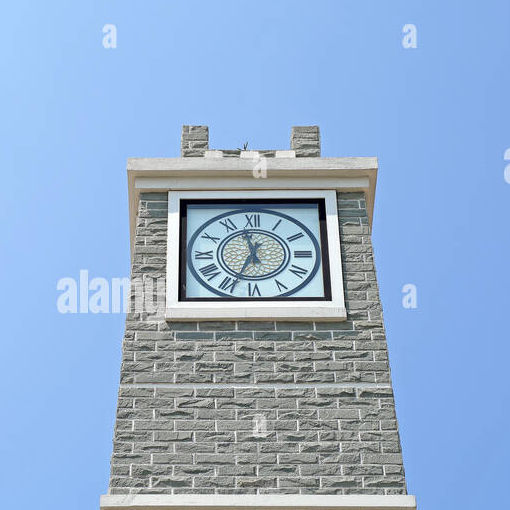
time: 11:33
